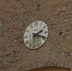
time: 2:18
